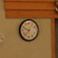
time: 9:37
